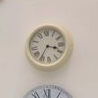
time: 3:35
